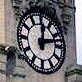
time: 12:12
